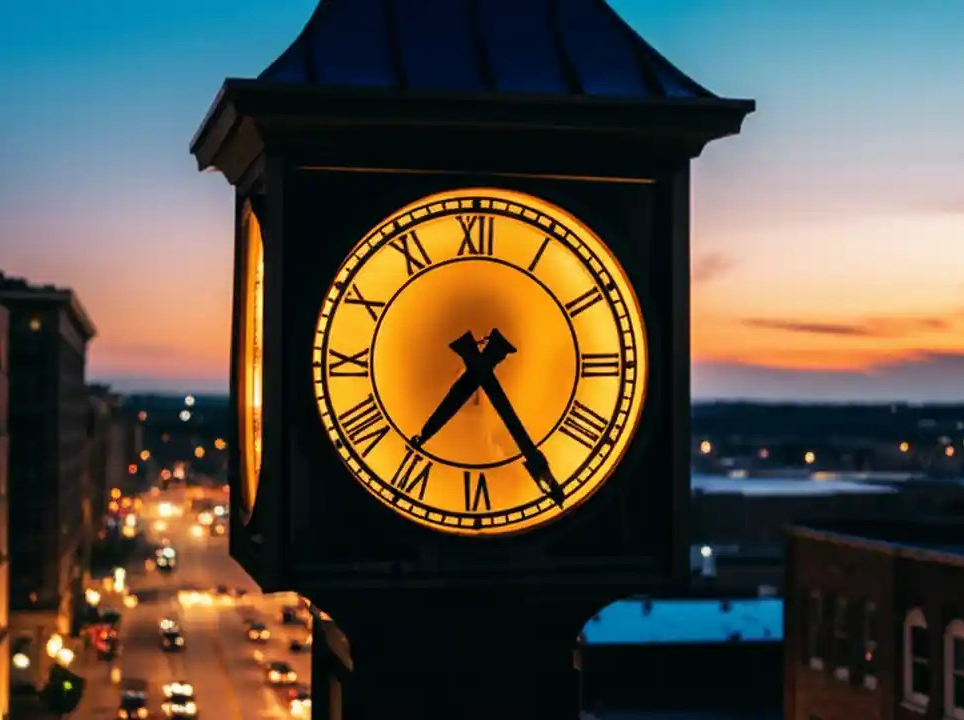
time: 7:24
